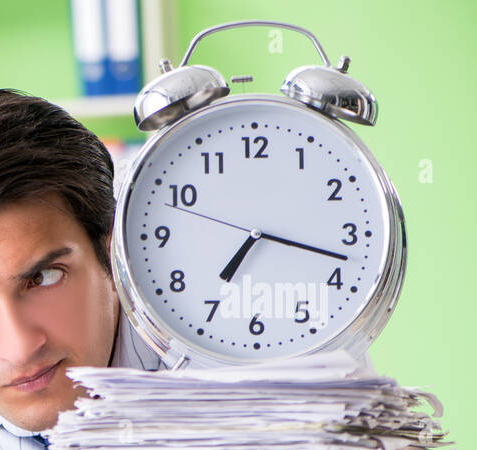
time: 7:17
